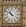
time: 10:50
